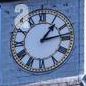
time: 1:13
